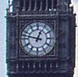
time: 12:47
